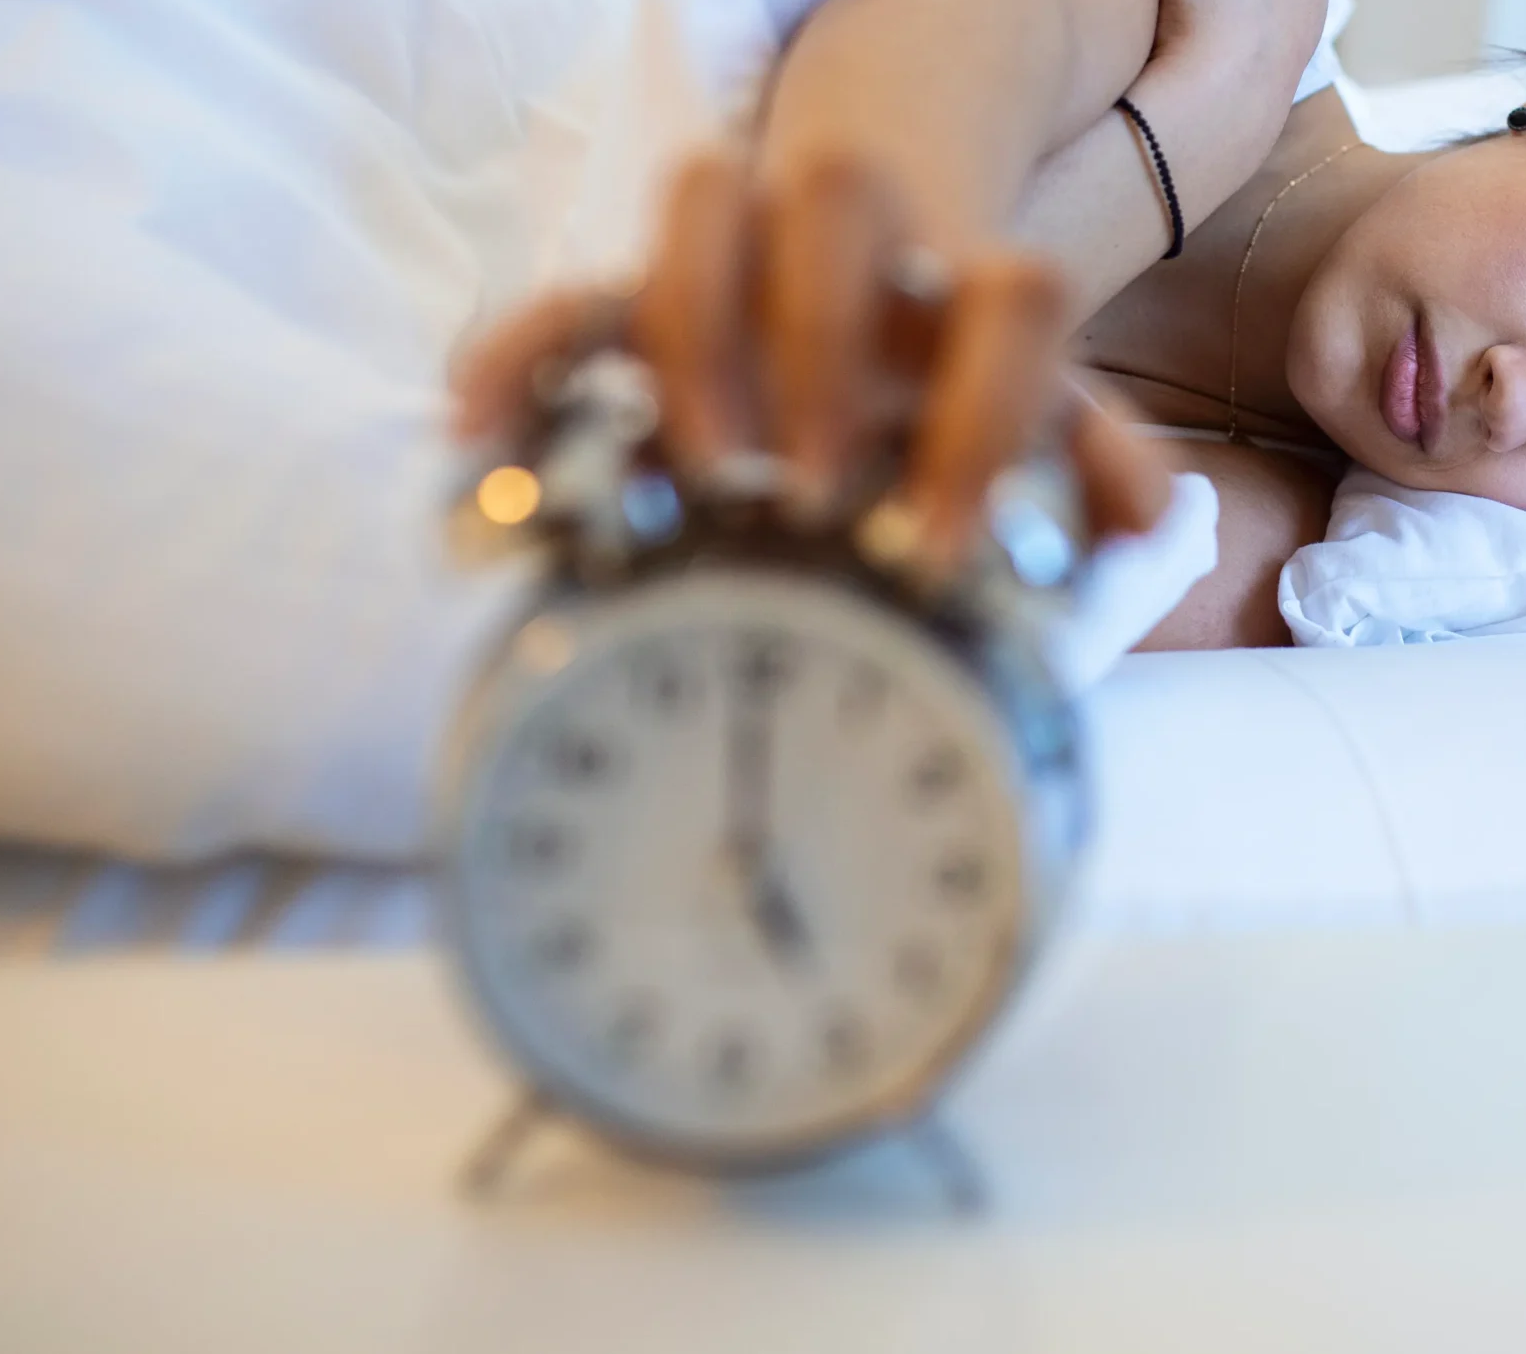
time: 4:59
